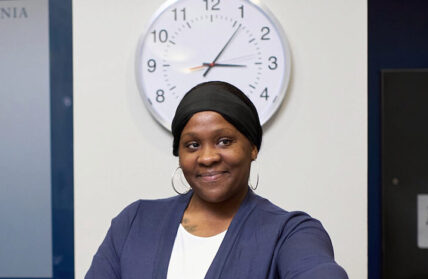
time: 3:06
